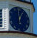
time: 12:59
